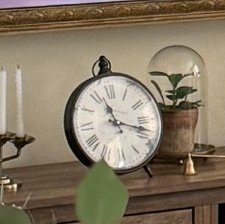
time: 11:17
